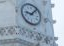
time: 9:07
